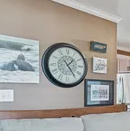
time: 1:24
